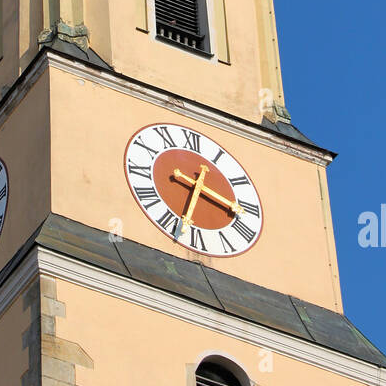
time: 3:33
